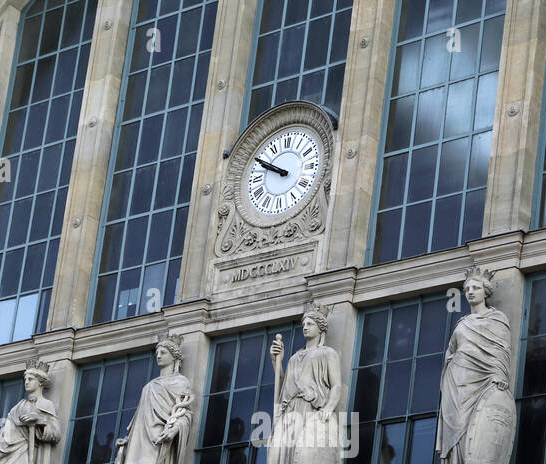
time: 9:50
